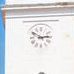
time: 2:50
